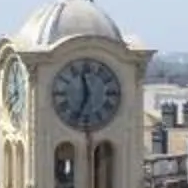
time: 11:33
